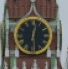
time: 12:29
